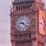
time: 9:22
